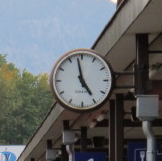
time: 4:58
